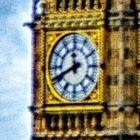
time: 11:41
